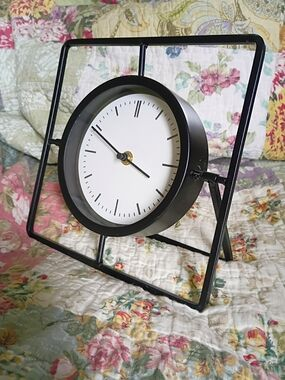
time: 3:49
